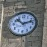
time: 11:12
